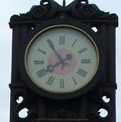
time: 7:54
